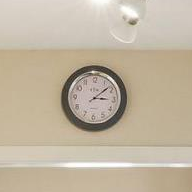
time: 3:08
